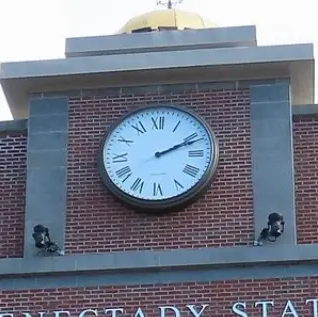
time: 2:11
